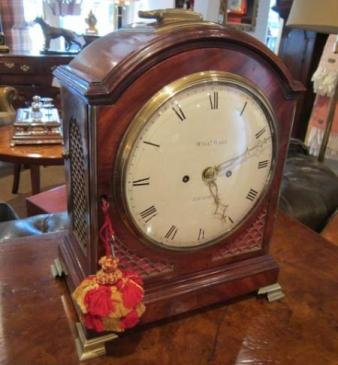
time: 2:25
